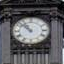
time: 10:52
